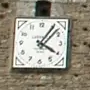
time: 4:05
